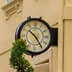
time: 10:24
